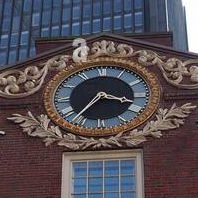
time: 3:36
